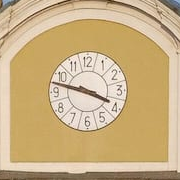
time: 3:47
